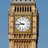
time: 9:43
